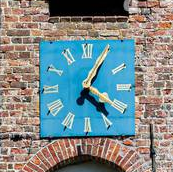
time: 4:04
